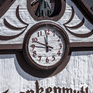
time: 11:48
